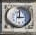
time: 3:00
